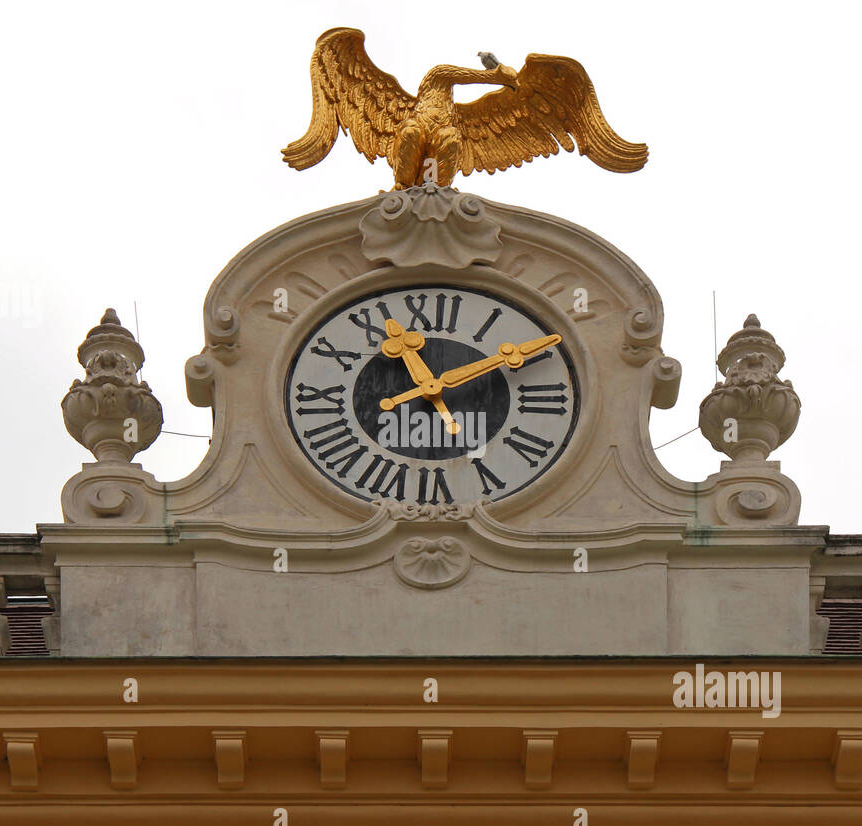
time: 11:09
